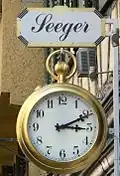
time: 3:10
